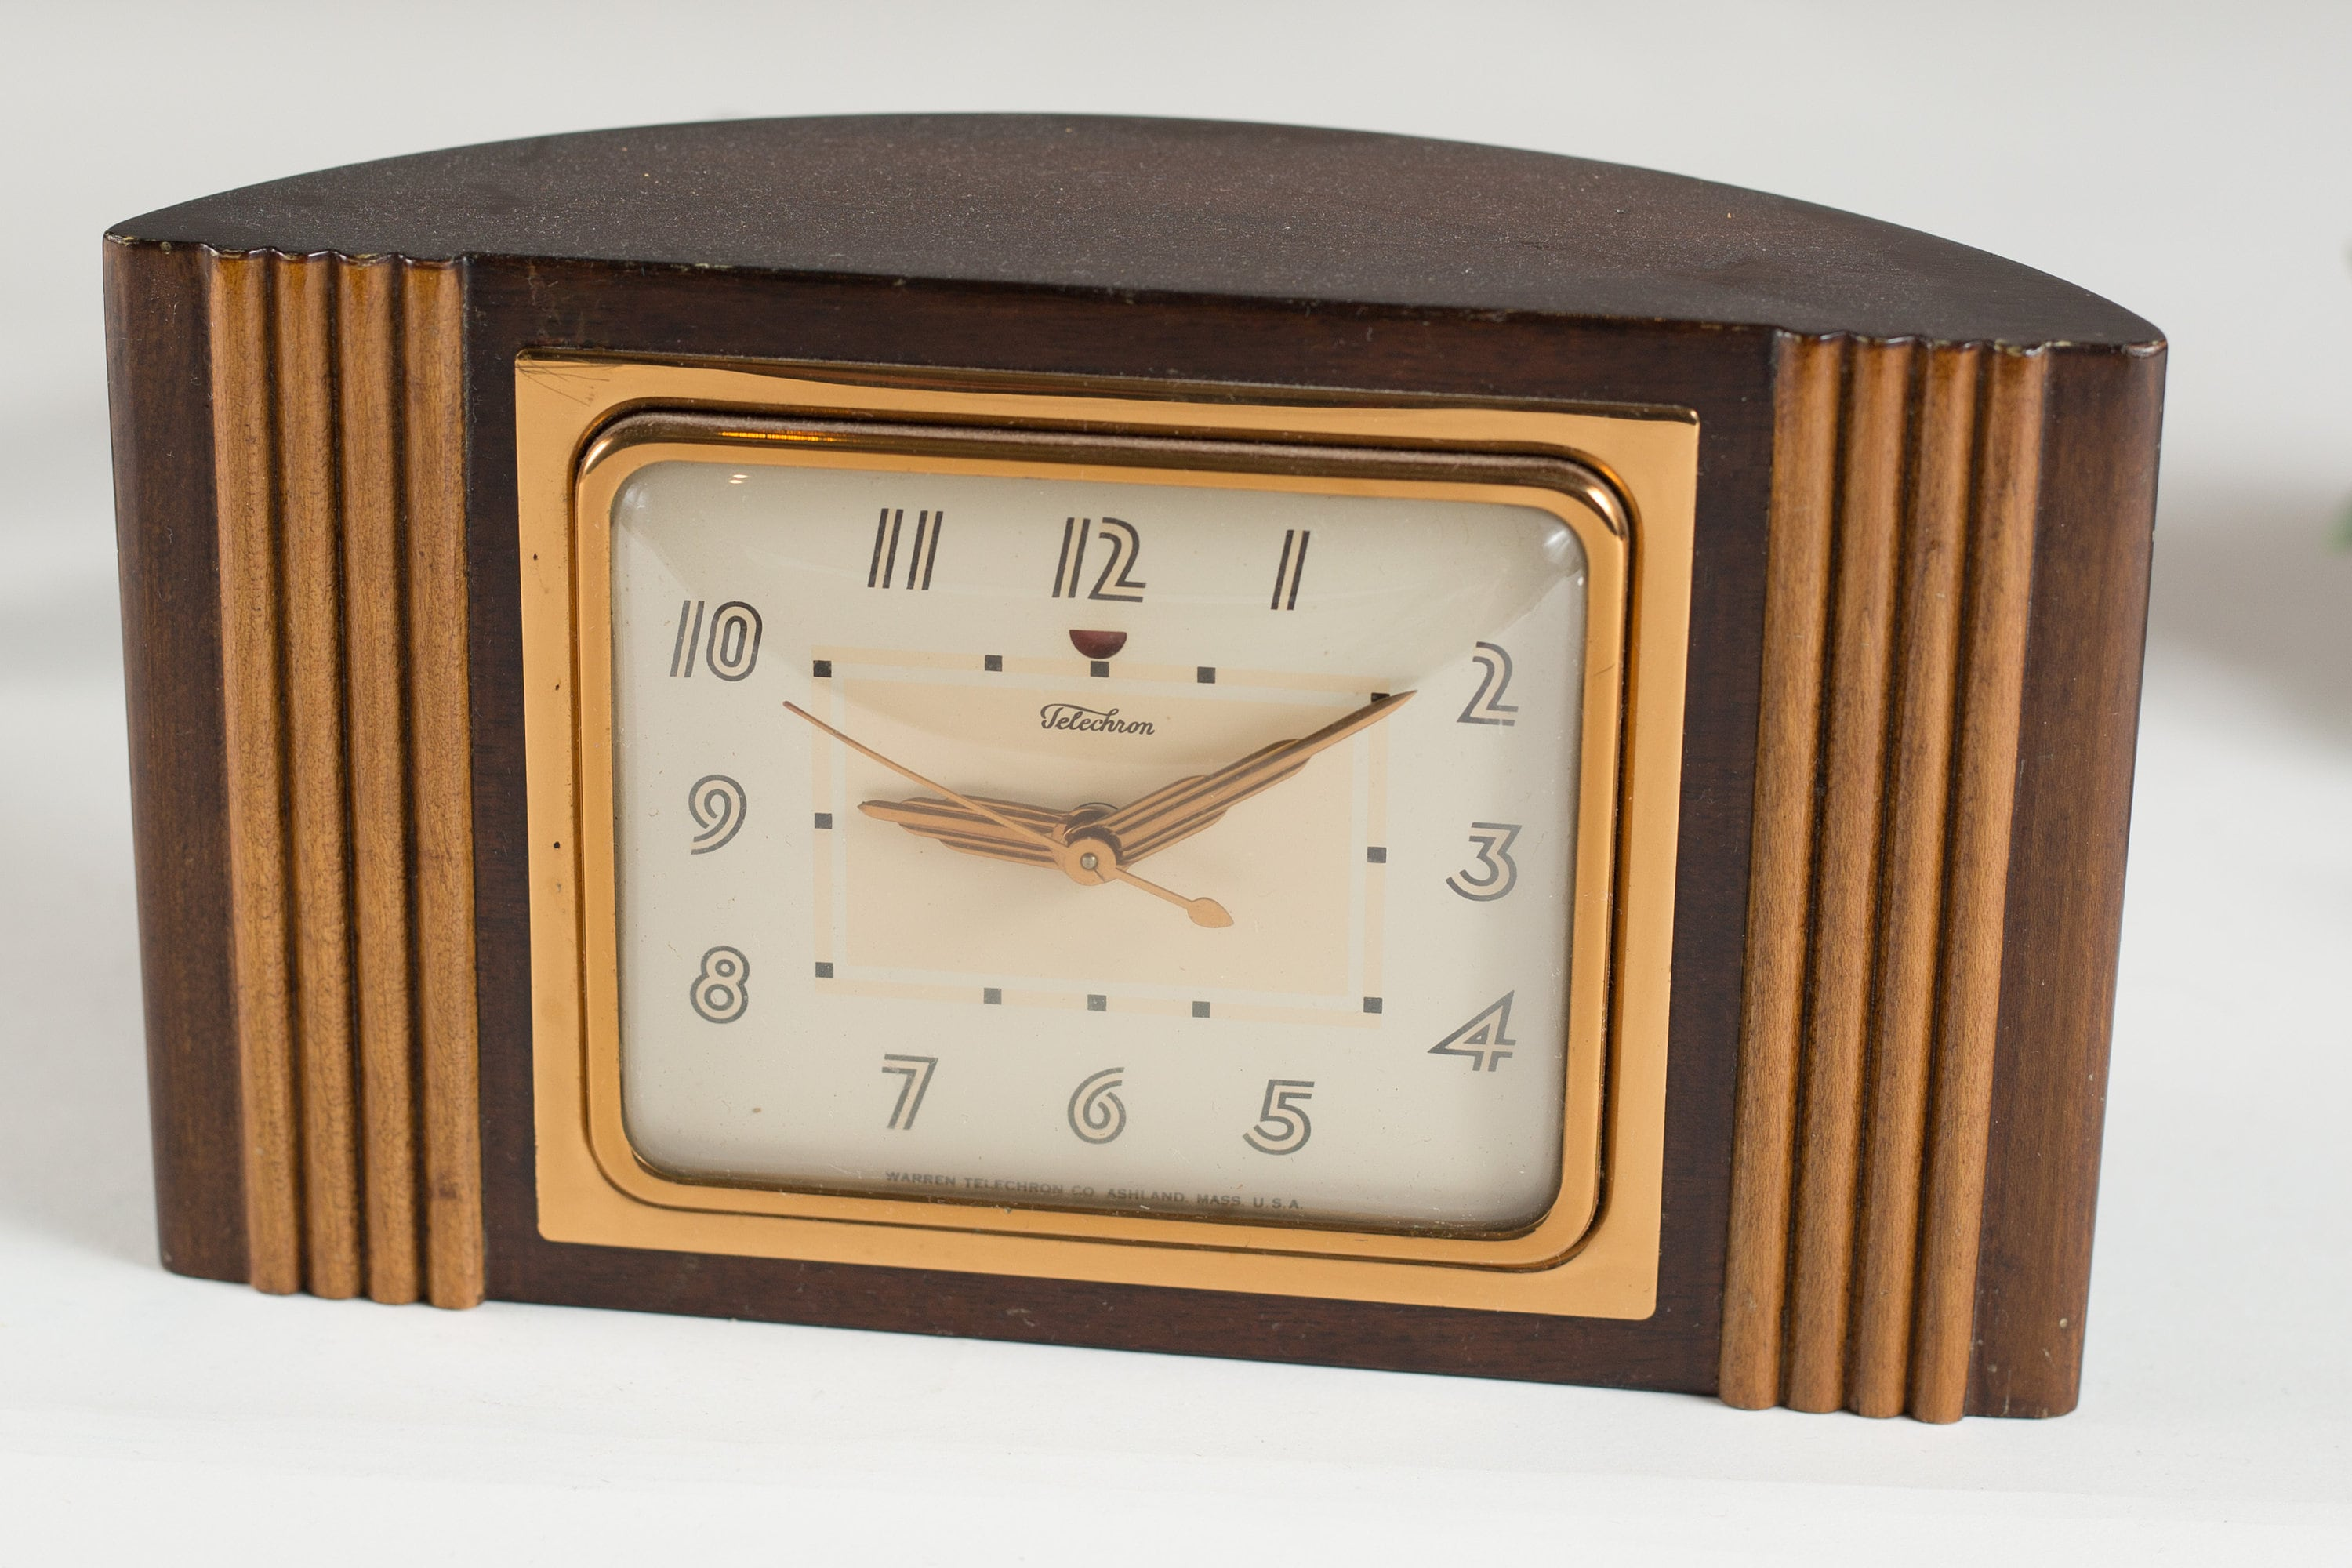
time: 9:09
